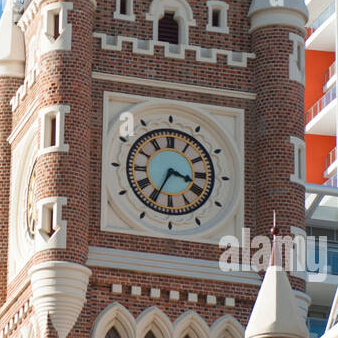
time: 3:34
